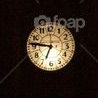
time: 6:46
